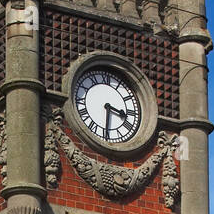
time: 3:30
